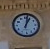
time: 1:02
